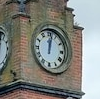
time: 12:02
